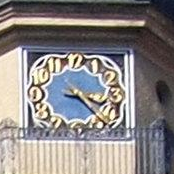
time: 3:22
